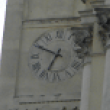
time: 6:49
